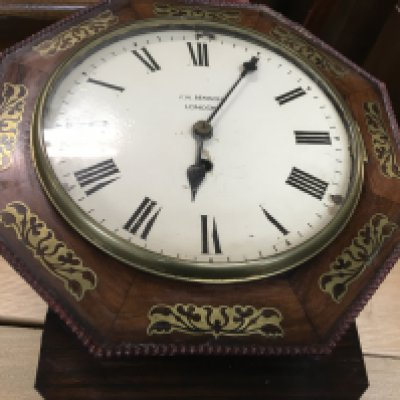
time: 6:05
